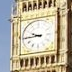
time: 9:44
